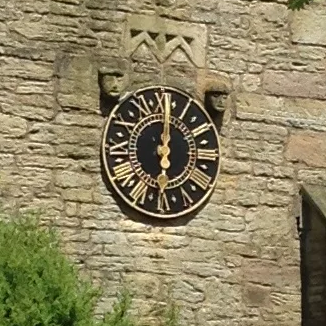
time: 6:00
